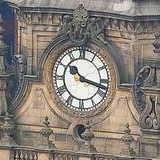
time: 10:17
